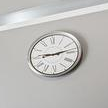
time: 9:13
